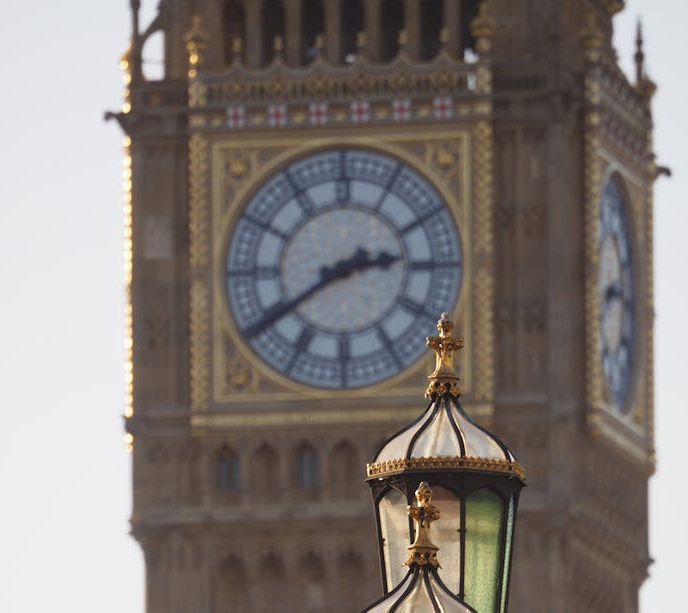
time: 2:39
